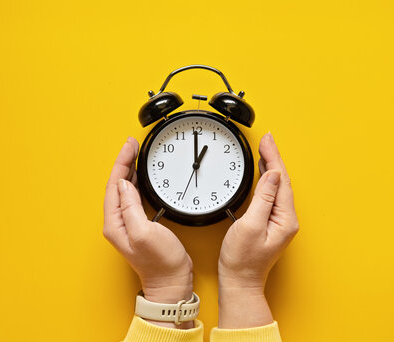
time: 12:59
